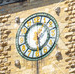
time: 1:28
